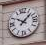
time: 10:07
